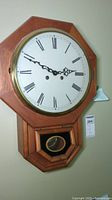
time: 2:49
